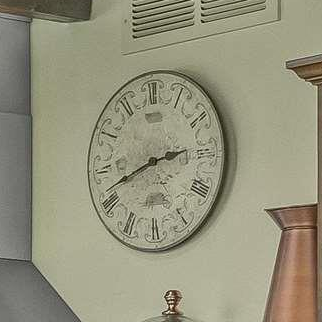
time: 2:42
